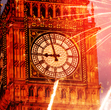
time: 8:57
